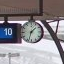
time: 1:33
